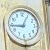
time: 12:44
